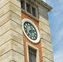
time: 7:12
